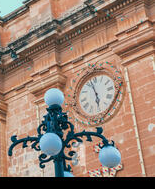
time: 5:57
